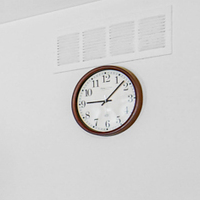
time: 9:07
